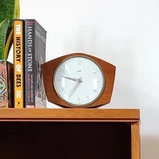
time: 9:34
